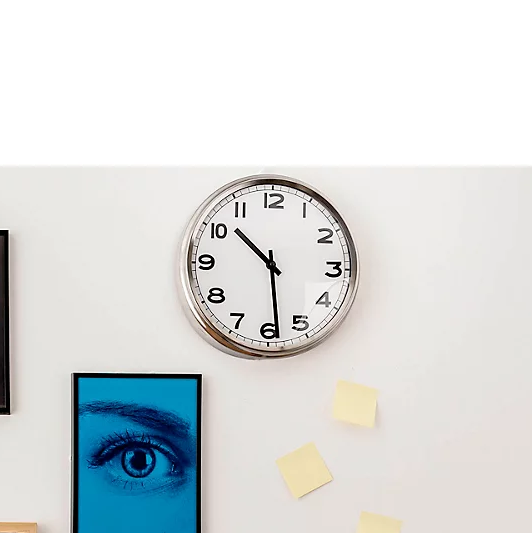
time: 10:28
